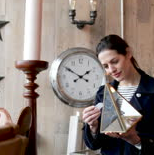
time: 1:50
